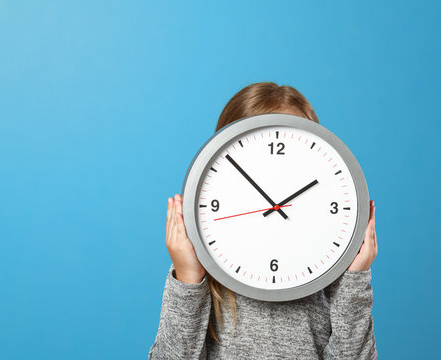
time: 1:52
